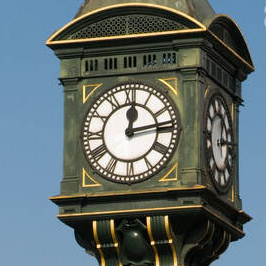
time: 12:13
